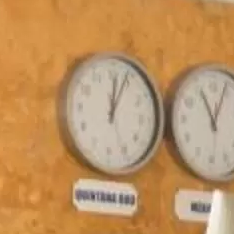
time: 12:03
